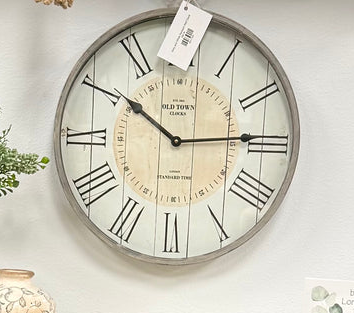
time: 10:14
